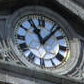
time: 11:06
